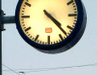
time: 4:22
